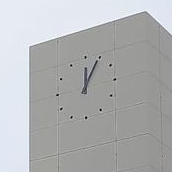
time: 12:05
